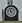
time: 4:57
